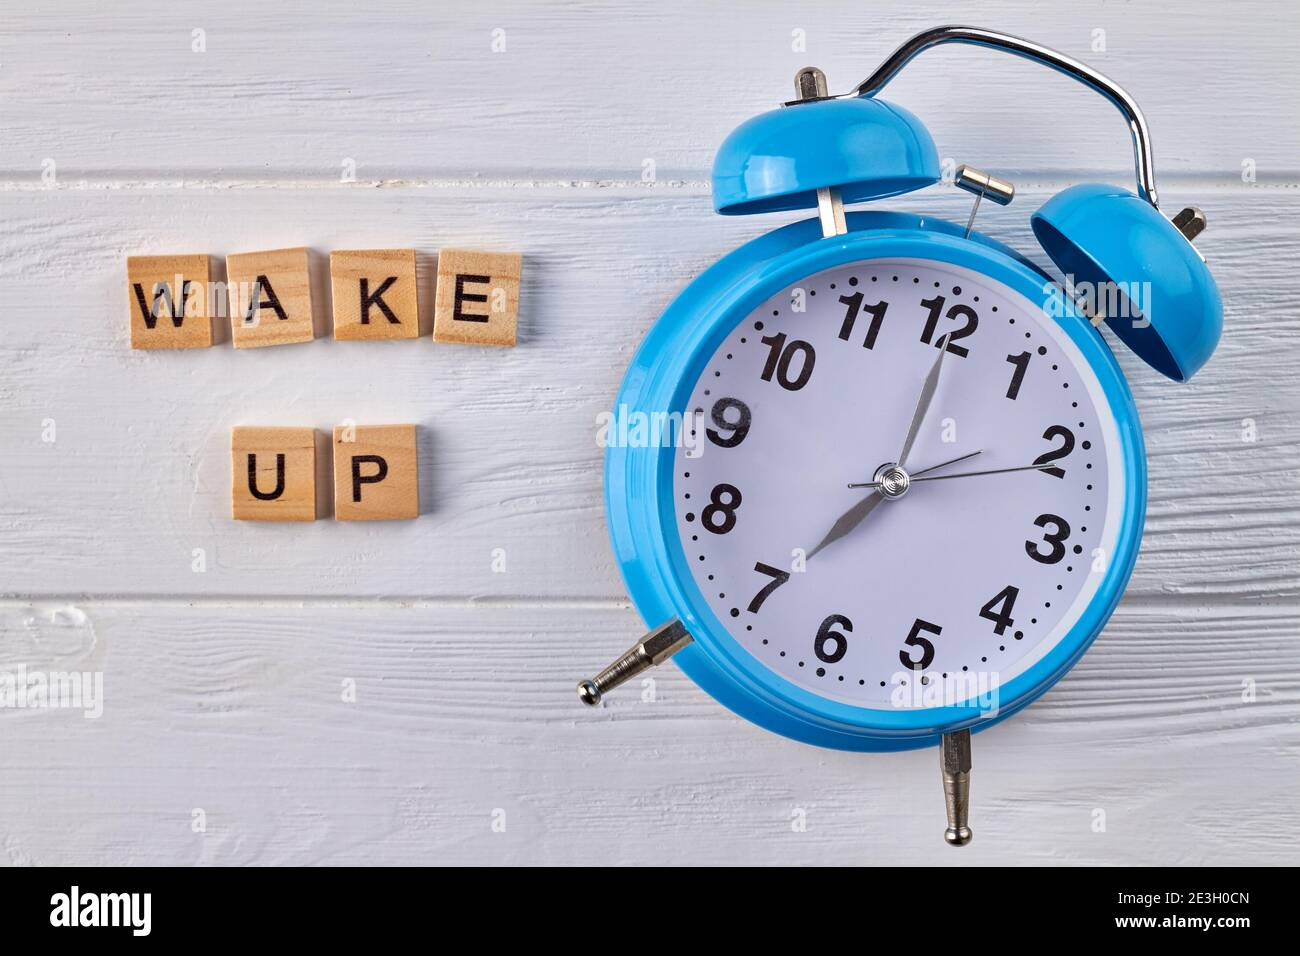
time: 7:00
